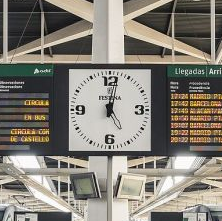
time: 5:01
